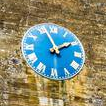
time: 1:56
